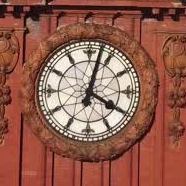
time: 4:02
